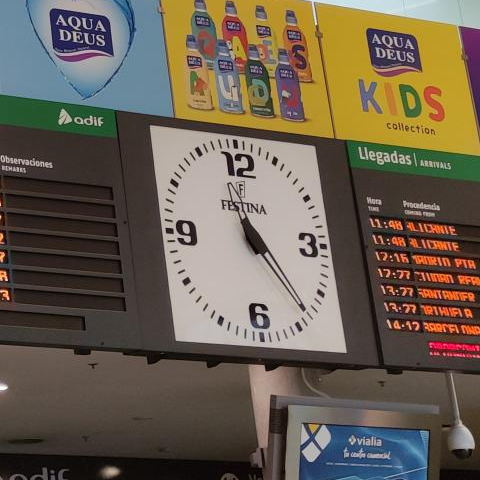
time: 11:23
